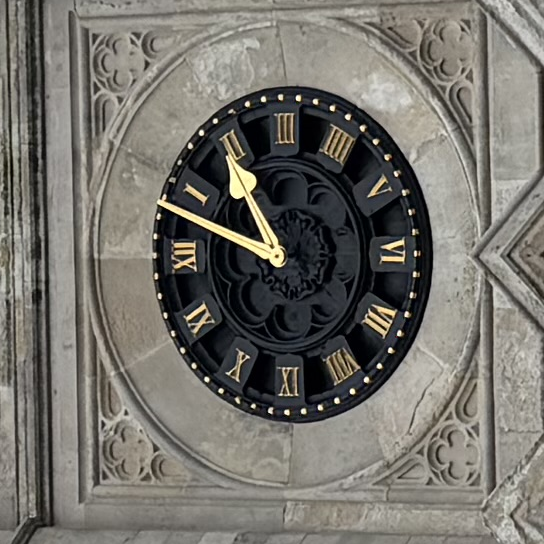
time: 10:48
